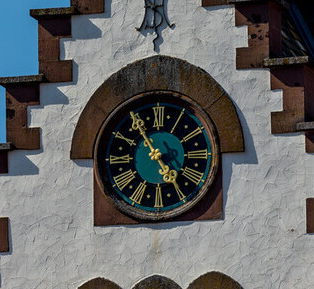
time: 4:54
